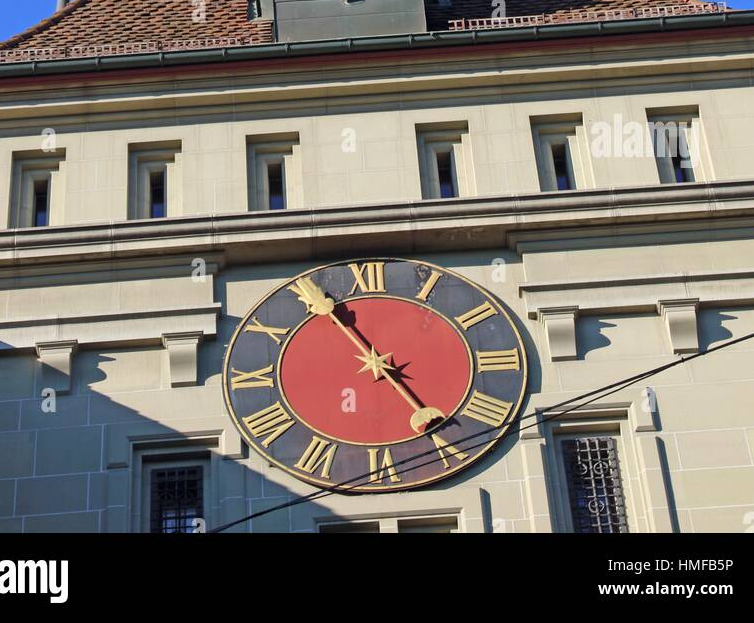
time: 4:55
